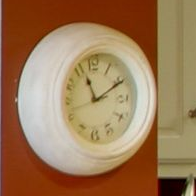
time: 11:10
